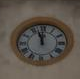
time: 11:57
